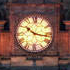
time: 10:17
